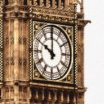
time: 10:00
